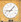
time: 9:07
